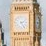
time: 2:24
